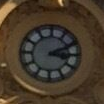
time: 3:10
